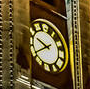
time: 9:40
